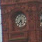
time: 7:27
